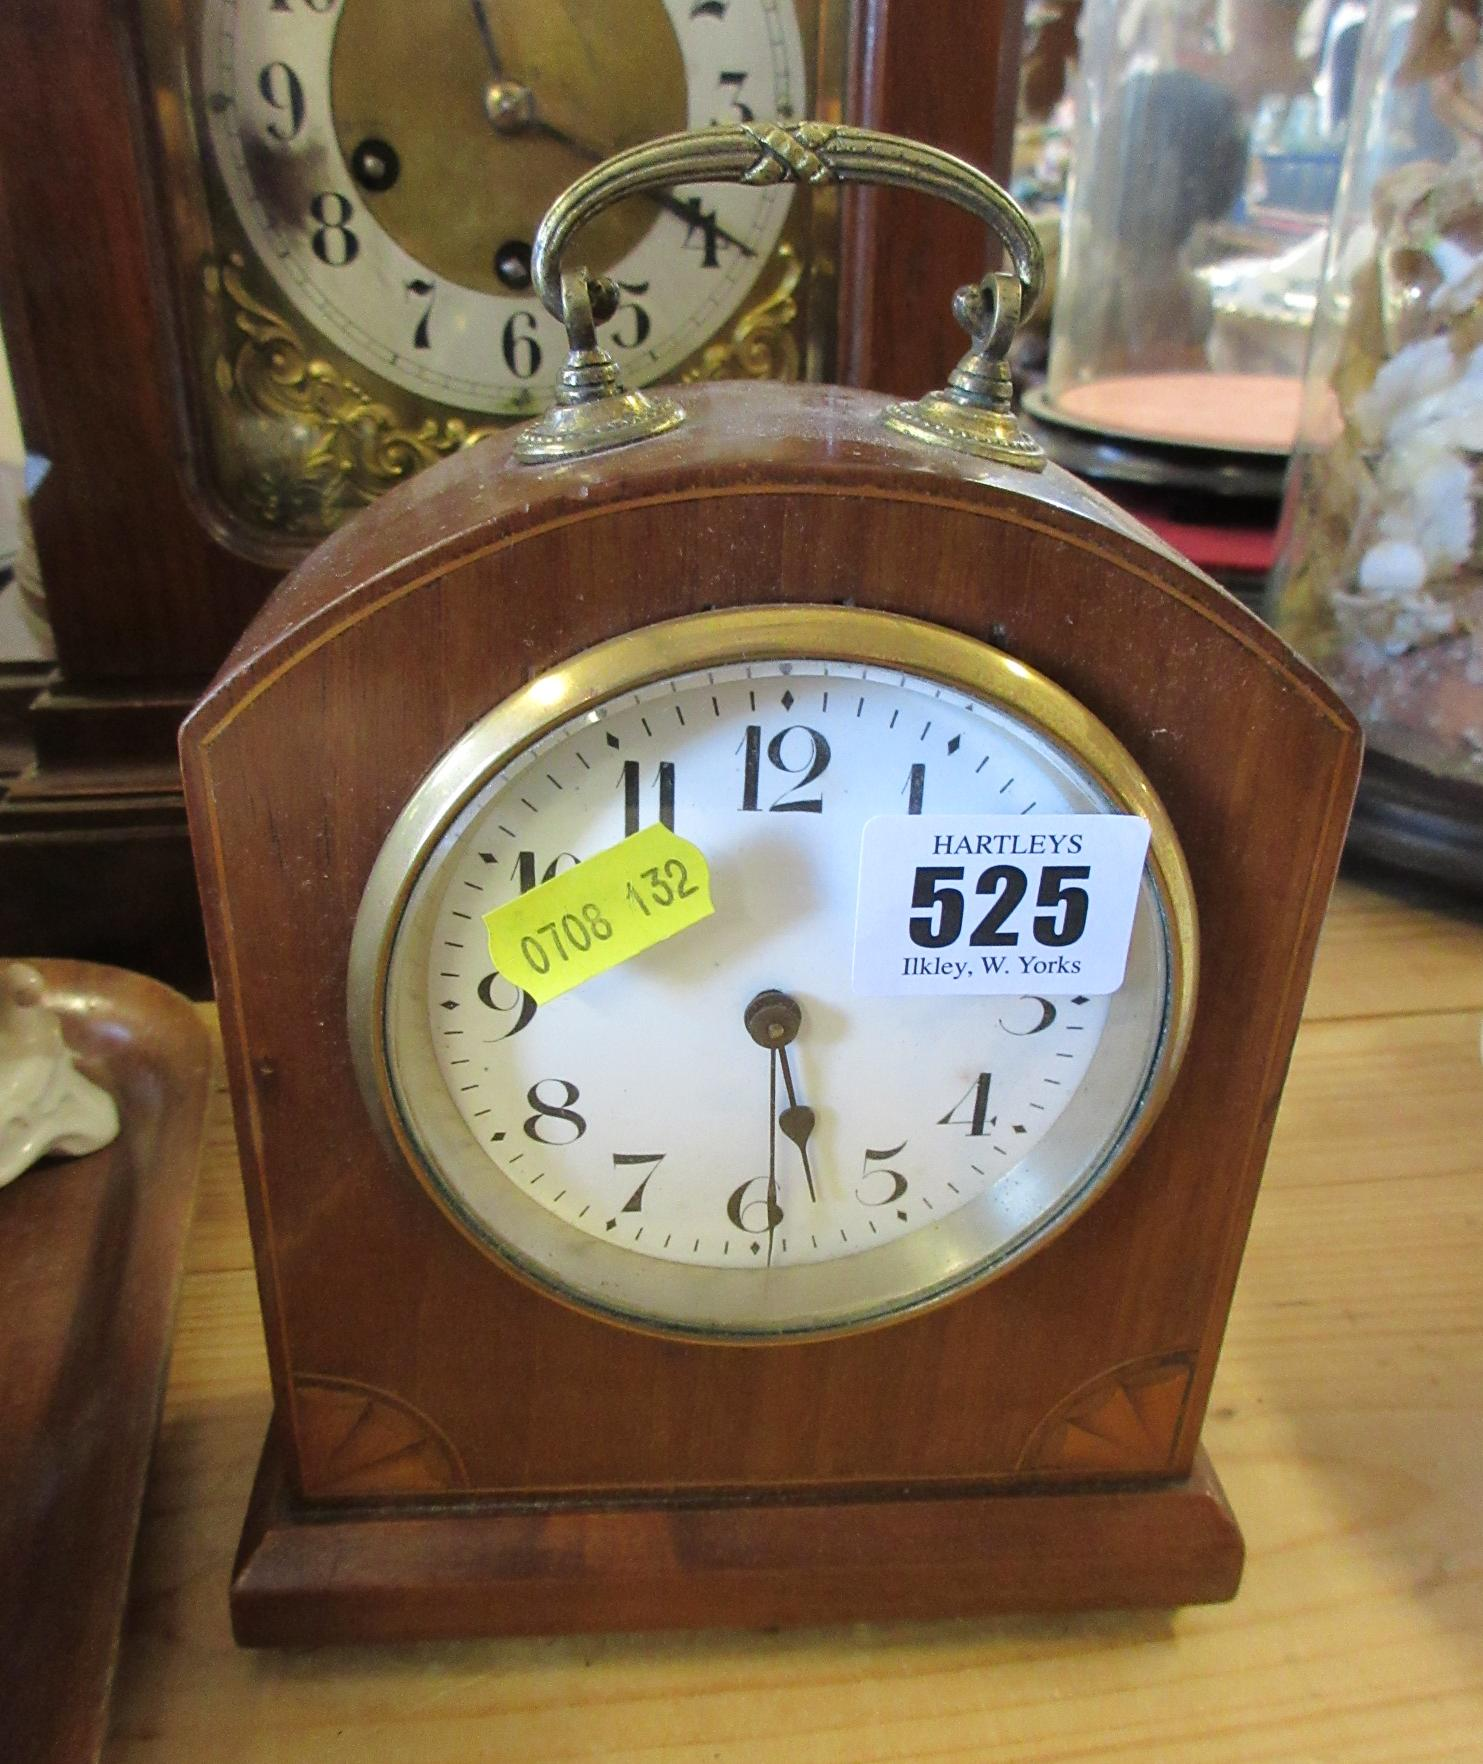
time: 11:28
